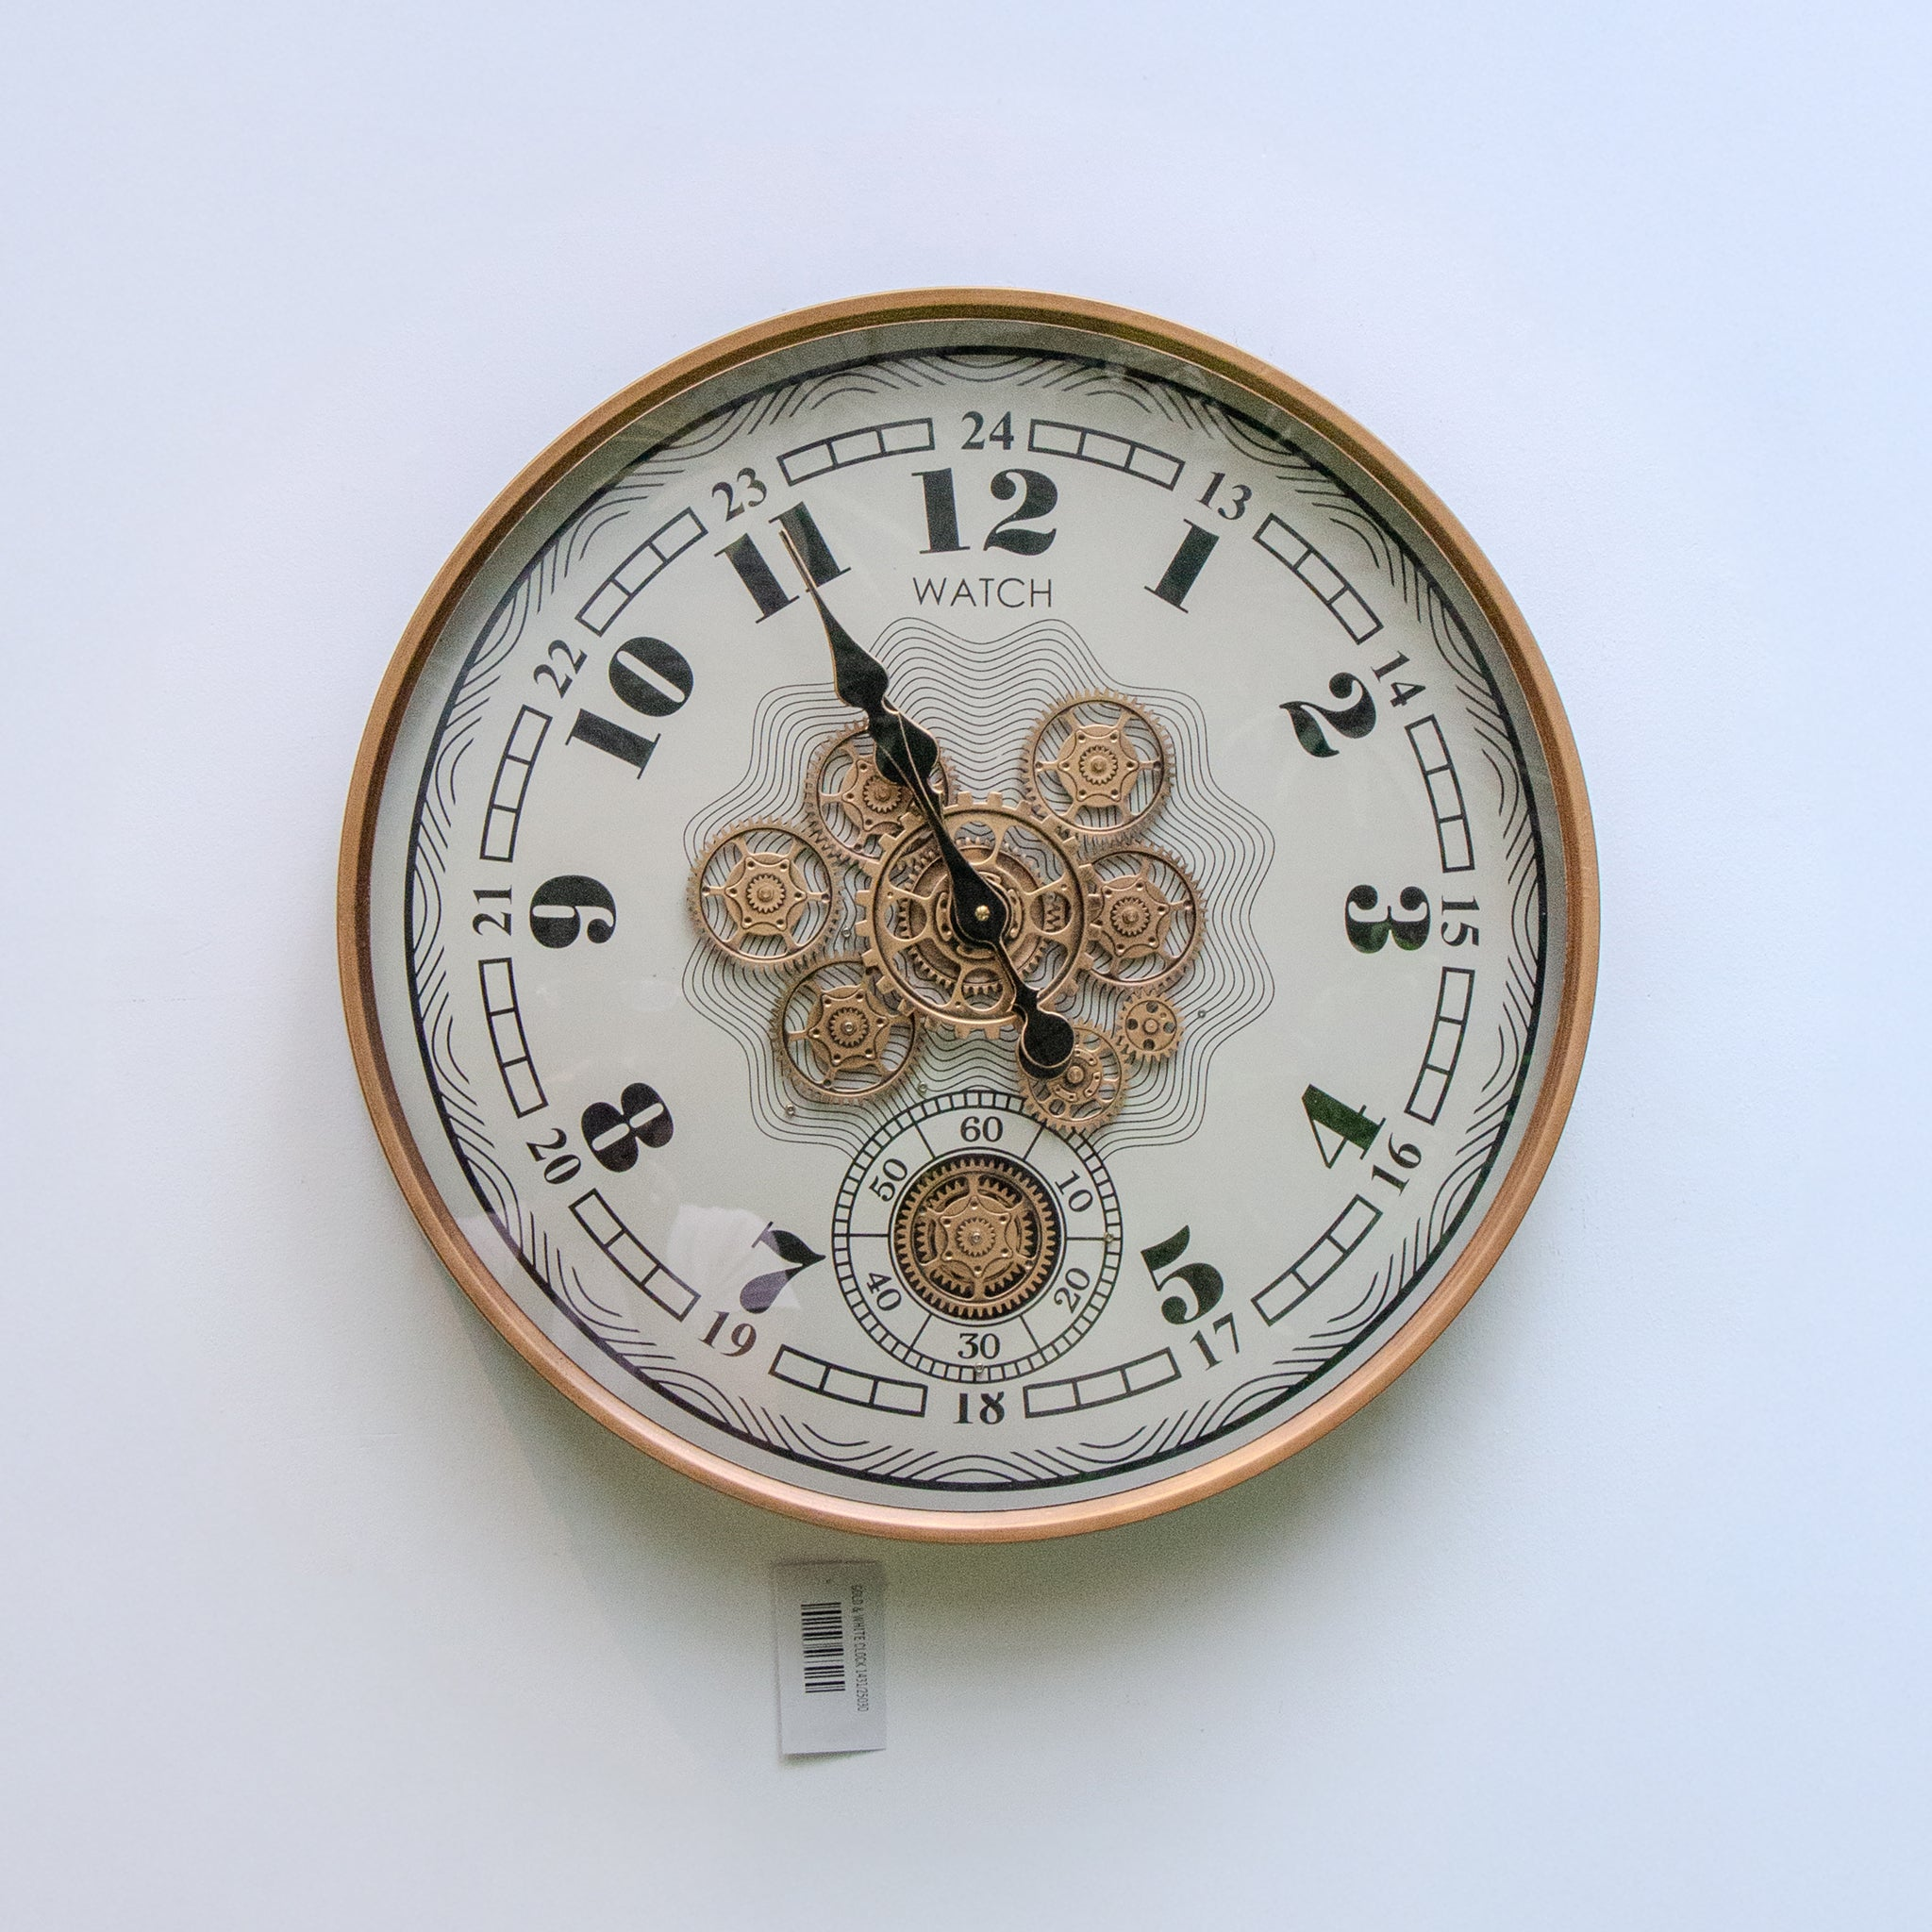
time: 10:55
